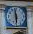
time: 5:58
